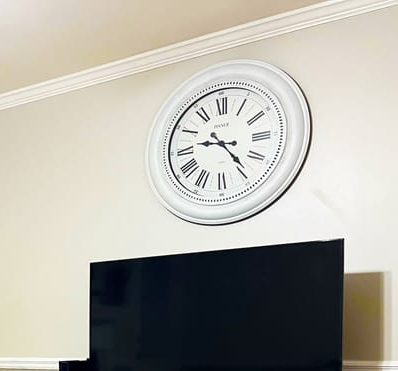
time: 9:23
